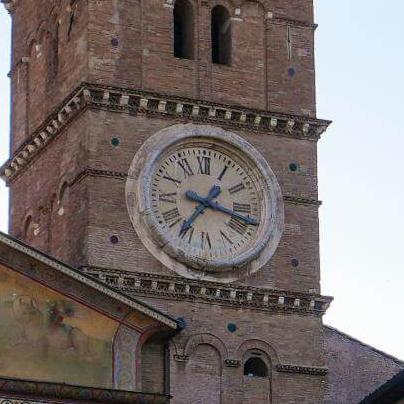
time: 7:17
